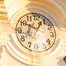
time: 12:49
